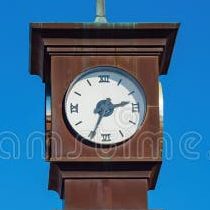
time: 2:34
